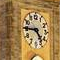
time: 4:45
